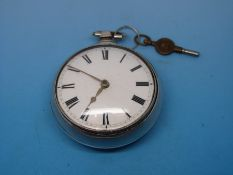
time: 6:50
